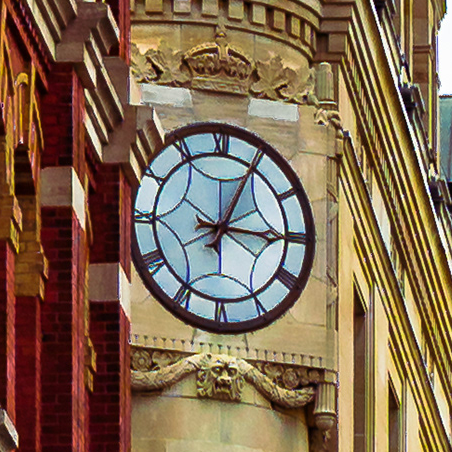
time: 3:04
